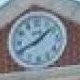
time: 8:07
